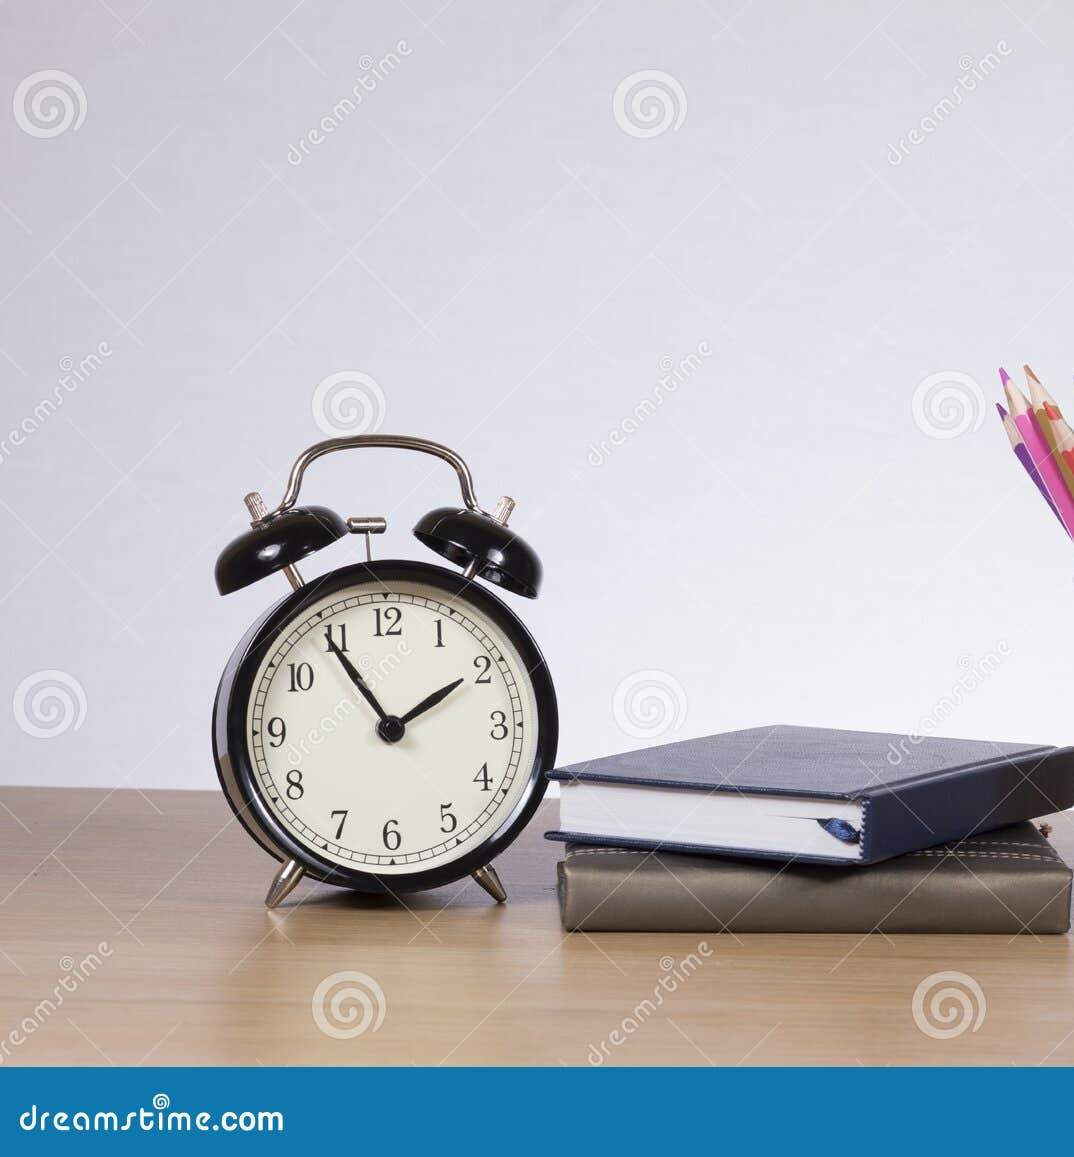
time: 1:54
